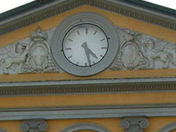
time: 4:27
